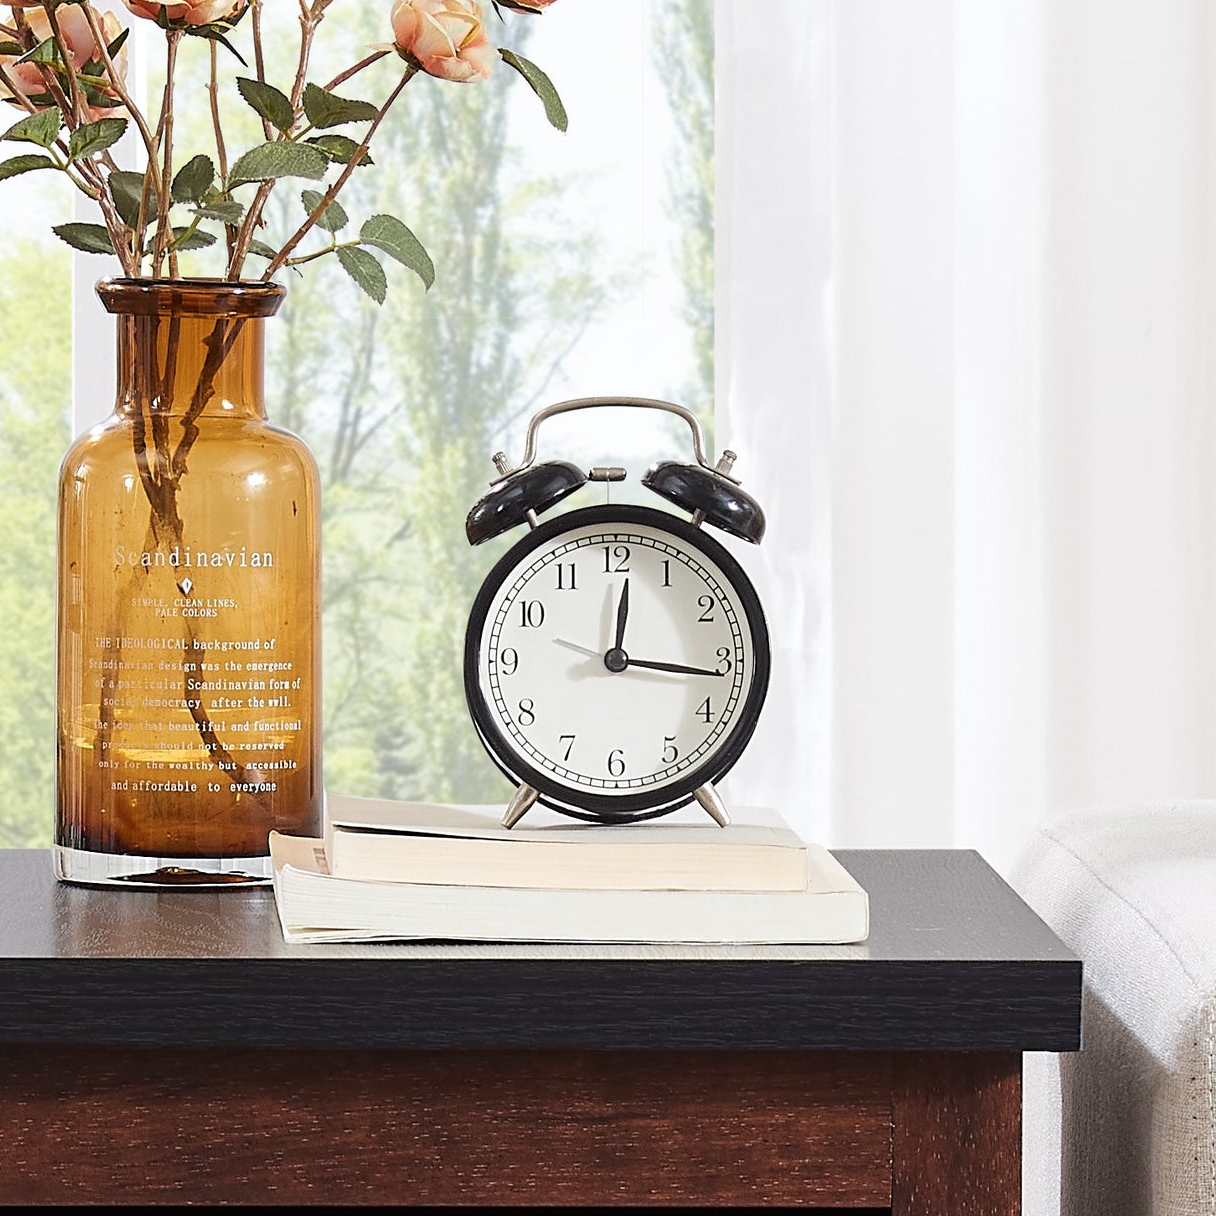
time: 12:16
